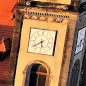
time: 5:38
